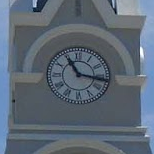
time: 11:16
